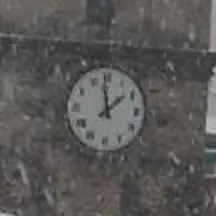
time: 1:59
